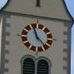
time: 11:22
